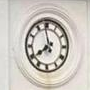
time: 7:58
